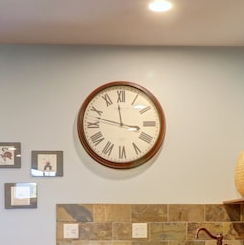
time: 11:47
